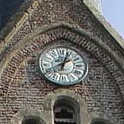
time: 1:02
